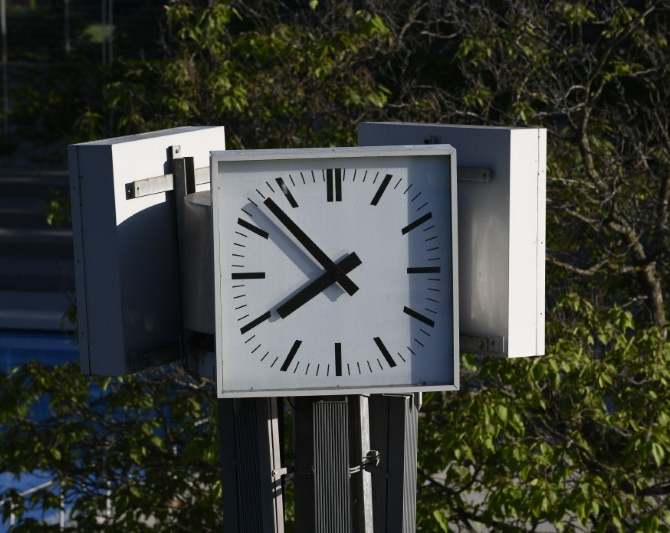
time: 7:52
